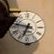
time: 6:47
